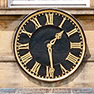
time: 1:28
